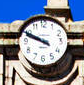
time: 9:48
